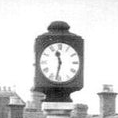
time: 11:32
